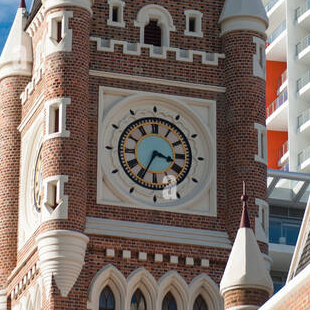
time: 3:34
